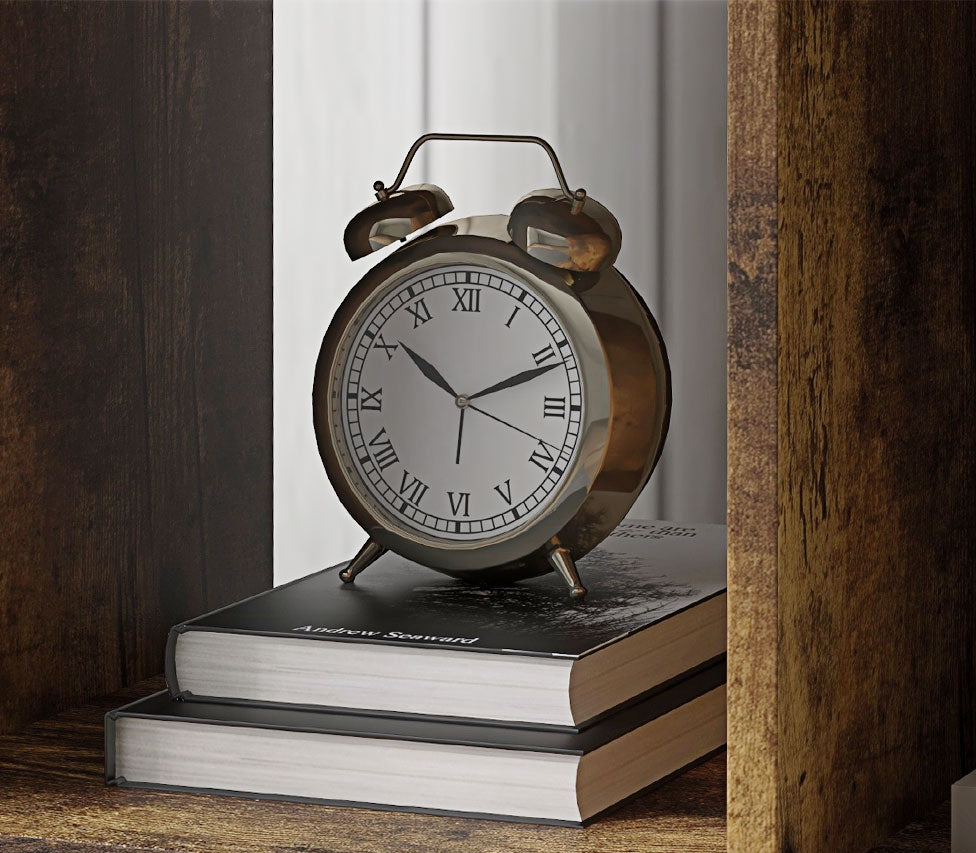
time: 10:11
